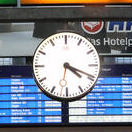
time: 4:19
